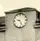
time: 9:26
